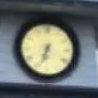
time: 6:33
